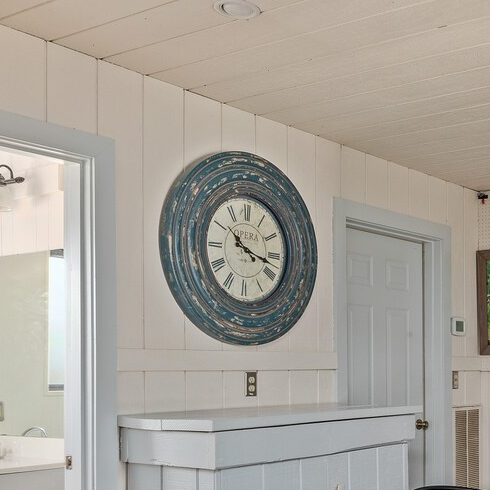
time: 10:17
